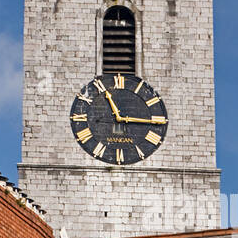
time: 11:15
